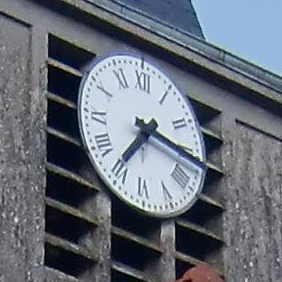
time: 7:16
